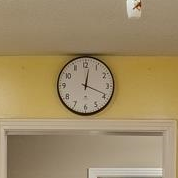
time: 12:18
